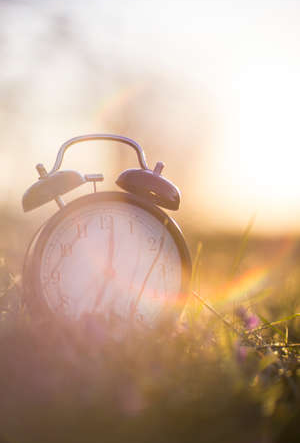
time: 7:01
